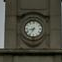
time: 8:34
